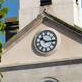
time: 10:14
